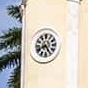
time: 8:23
